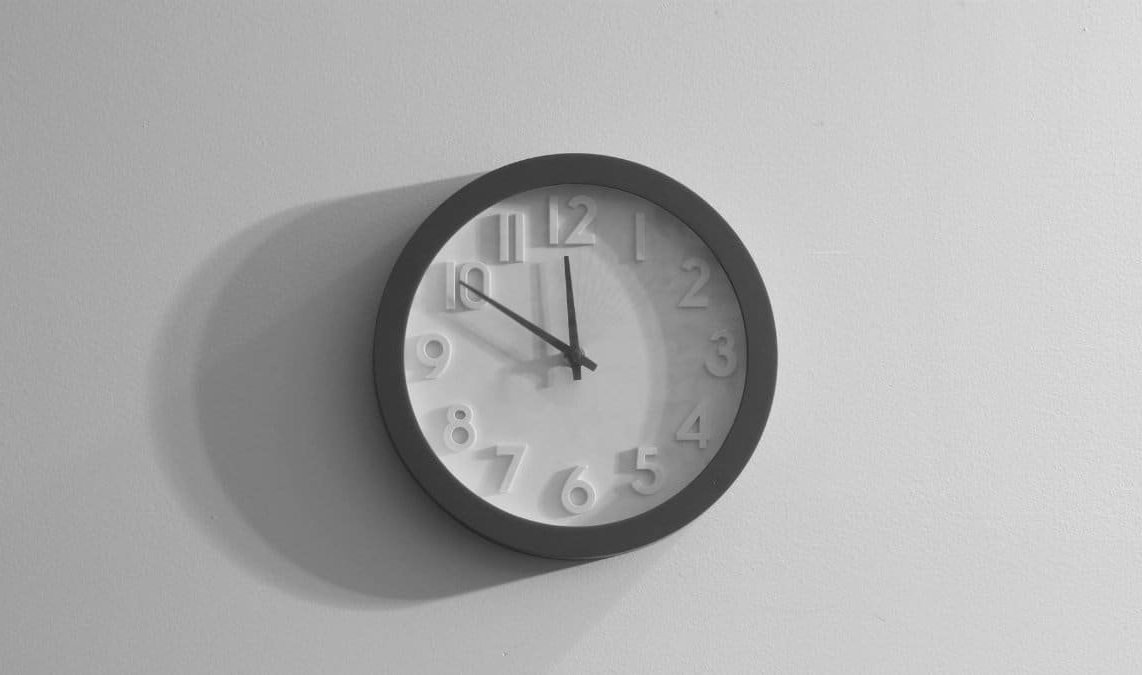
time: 11:50
